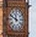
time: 11:49
